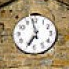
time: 6:58
